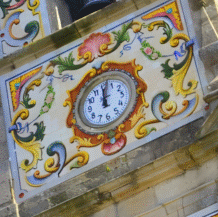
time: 12:02
